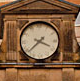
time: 3:38
